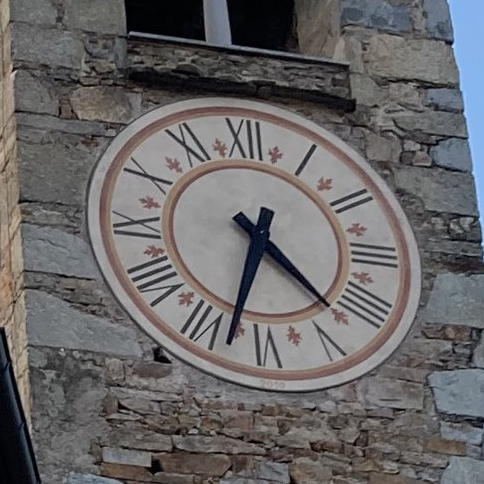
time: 4:32
